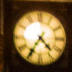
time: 4:35
